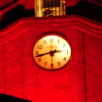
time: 2:42
